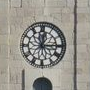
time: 12:14
